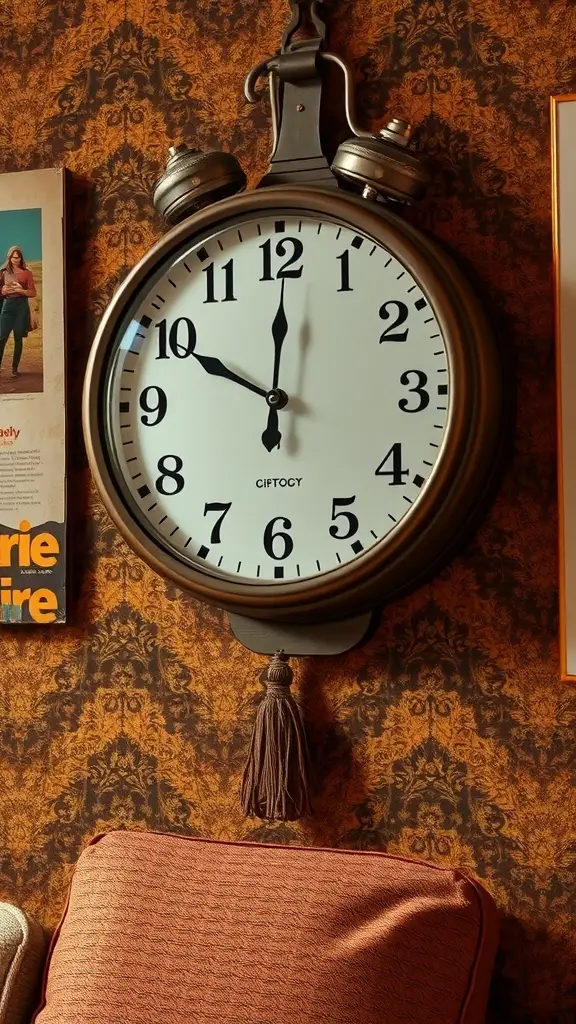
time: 10:00
